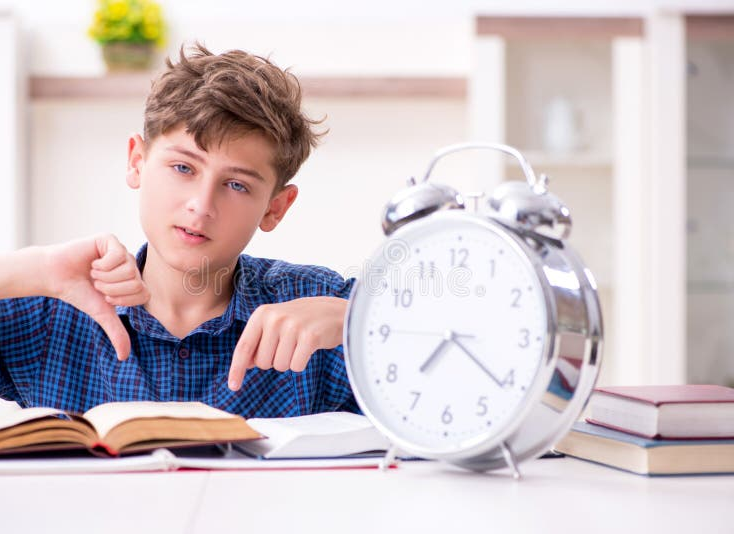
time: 7:21
